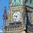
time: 9:33
